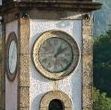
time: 1:09
